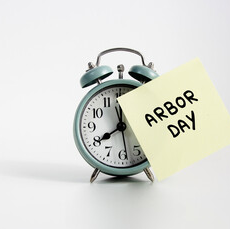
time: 7:58
